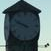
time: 9:49
